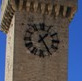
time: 1:24
